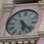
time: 5:21
